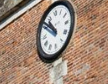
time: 10:51
